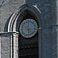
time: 5:59
